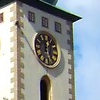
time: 12:28
